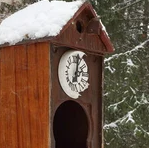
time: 7:02
